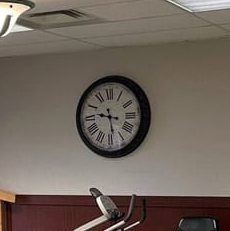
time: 9:28
